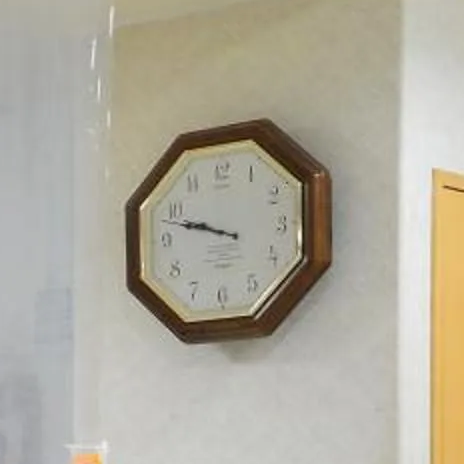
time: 9:47
